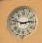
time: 2:48
